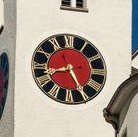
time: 8:25
